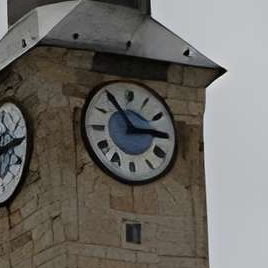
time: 2:54
